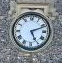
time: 5:11
